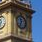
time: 11:35
